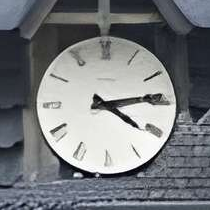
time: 4:13
